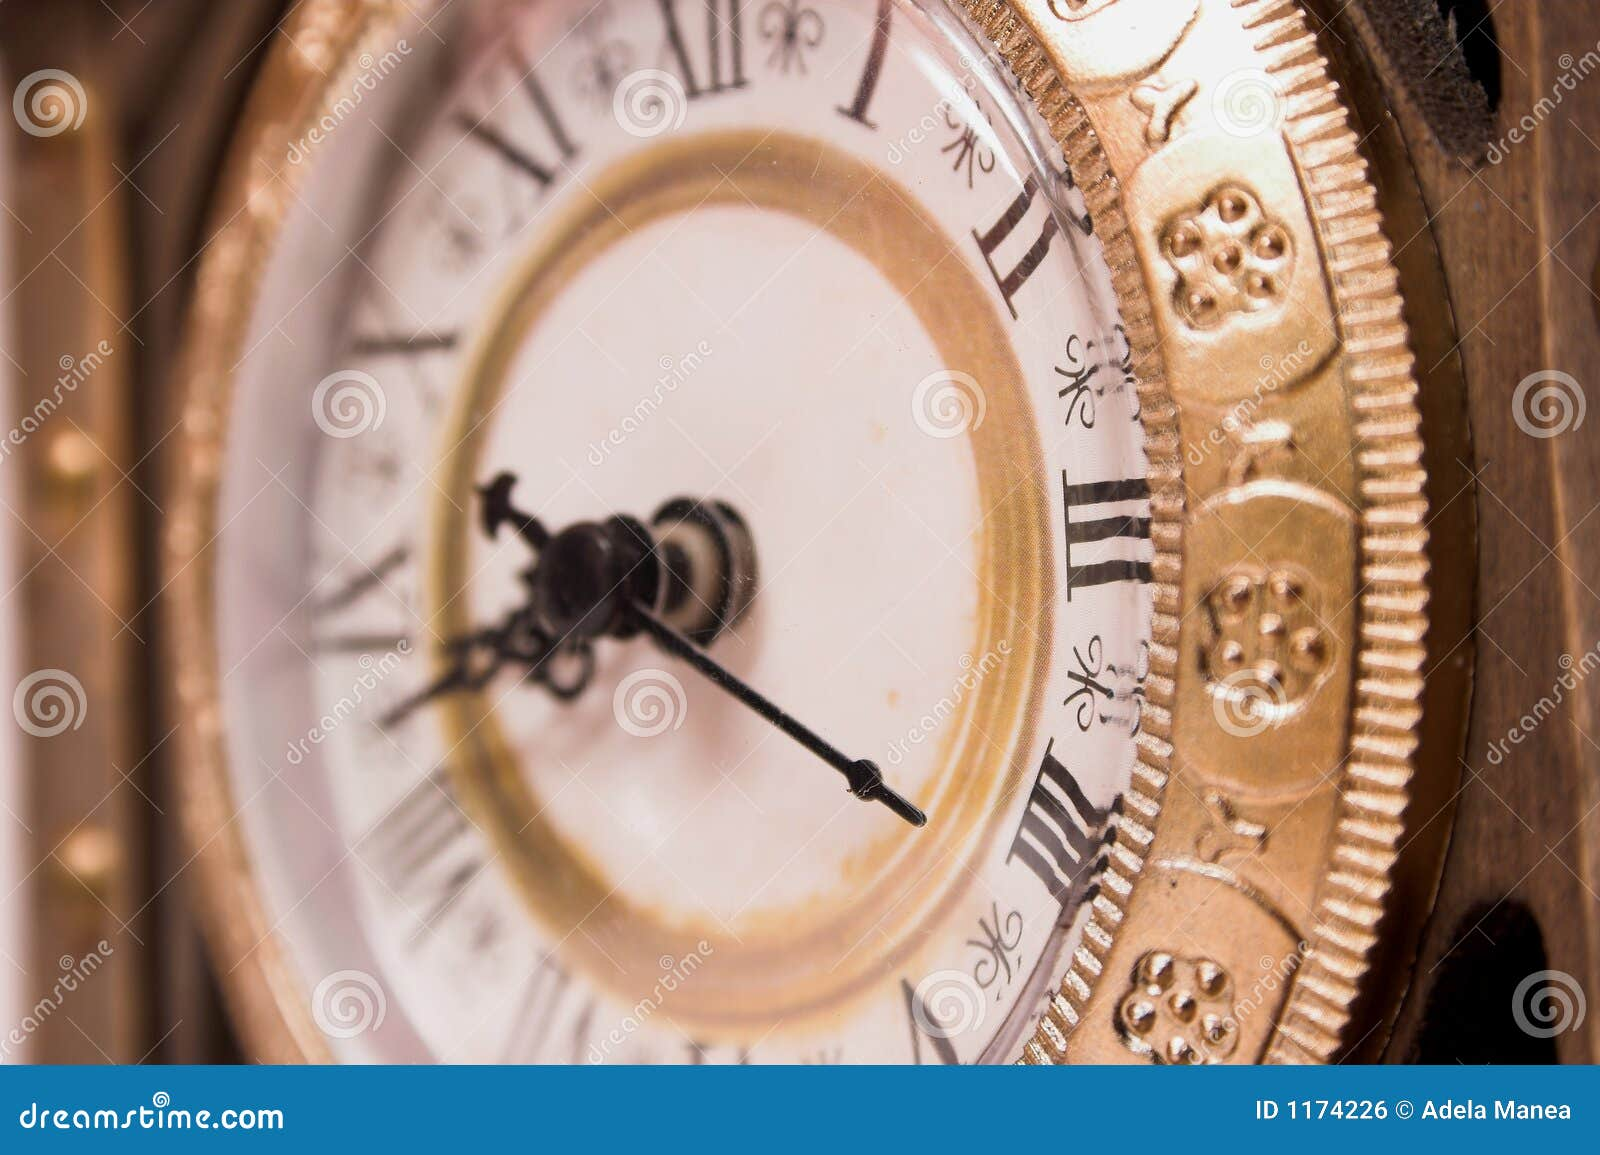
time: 8:21
